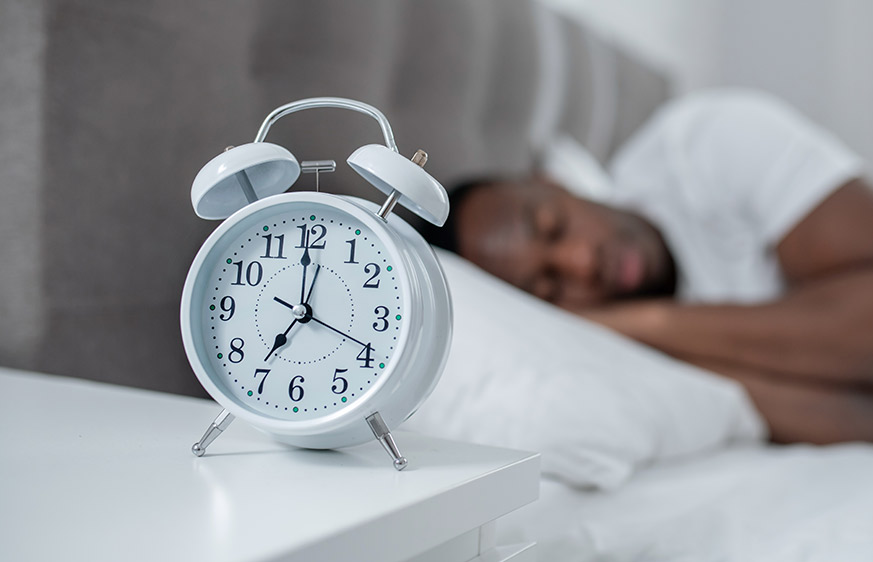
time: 6:59
